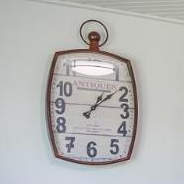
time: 1:09
